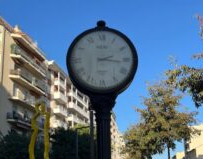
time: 2:16
